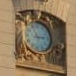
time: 11:13
